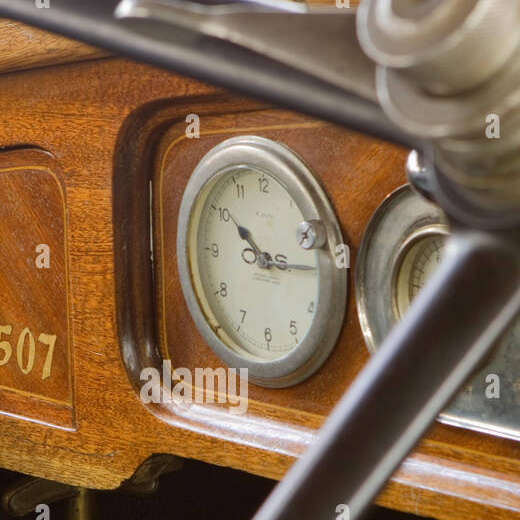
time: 10:14
